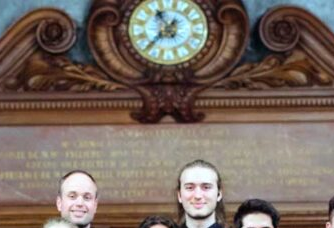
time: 10:36
